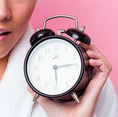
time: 2:29
